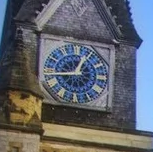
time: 12:43
